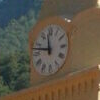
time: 11:47
